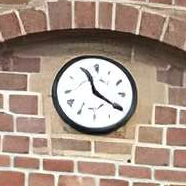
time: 11:20
